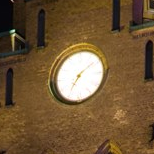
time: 7:08
